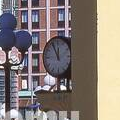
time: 11:54
